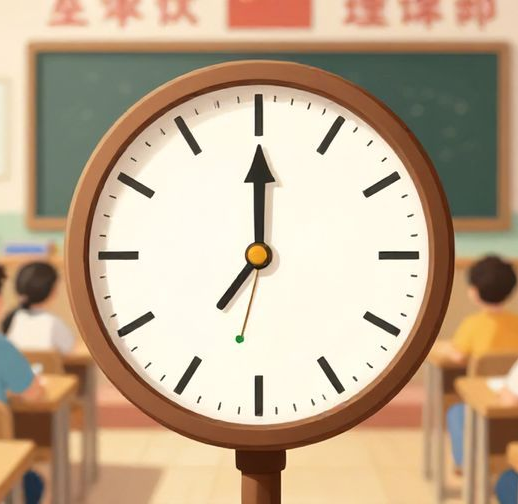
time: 7:00
